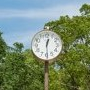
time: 12:29
